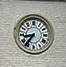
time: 8:36
